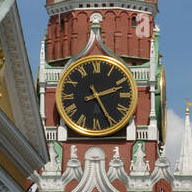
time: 2:25
